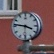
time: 3:46
